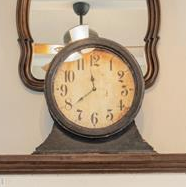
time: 7:58
